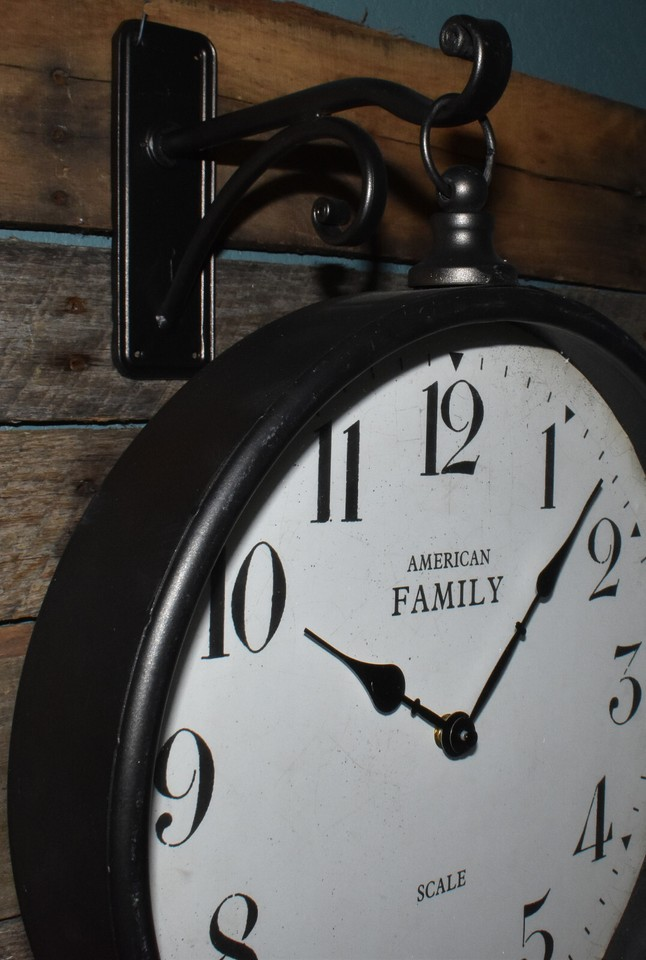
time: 10:07
